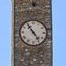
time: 4:54
